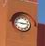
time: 2:46
